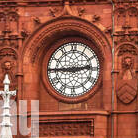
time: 2:45
